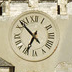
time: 6:52
